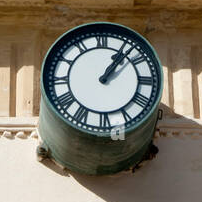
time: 1:07
